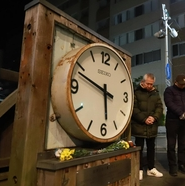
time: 5:48
